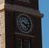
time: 3:22
